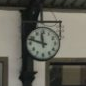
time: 11:48
